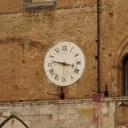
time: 9:17
